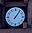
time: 1:06
